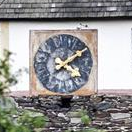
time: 4:08
